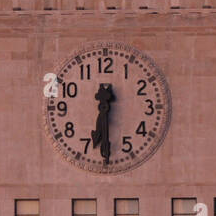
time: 6:29
